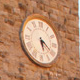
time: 5:20
